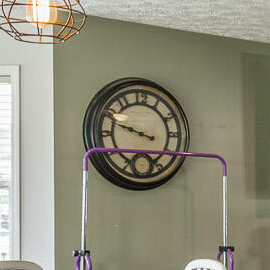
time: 9:48
